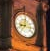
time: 9:01
